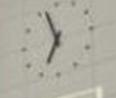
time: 6:56
